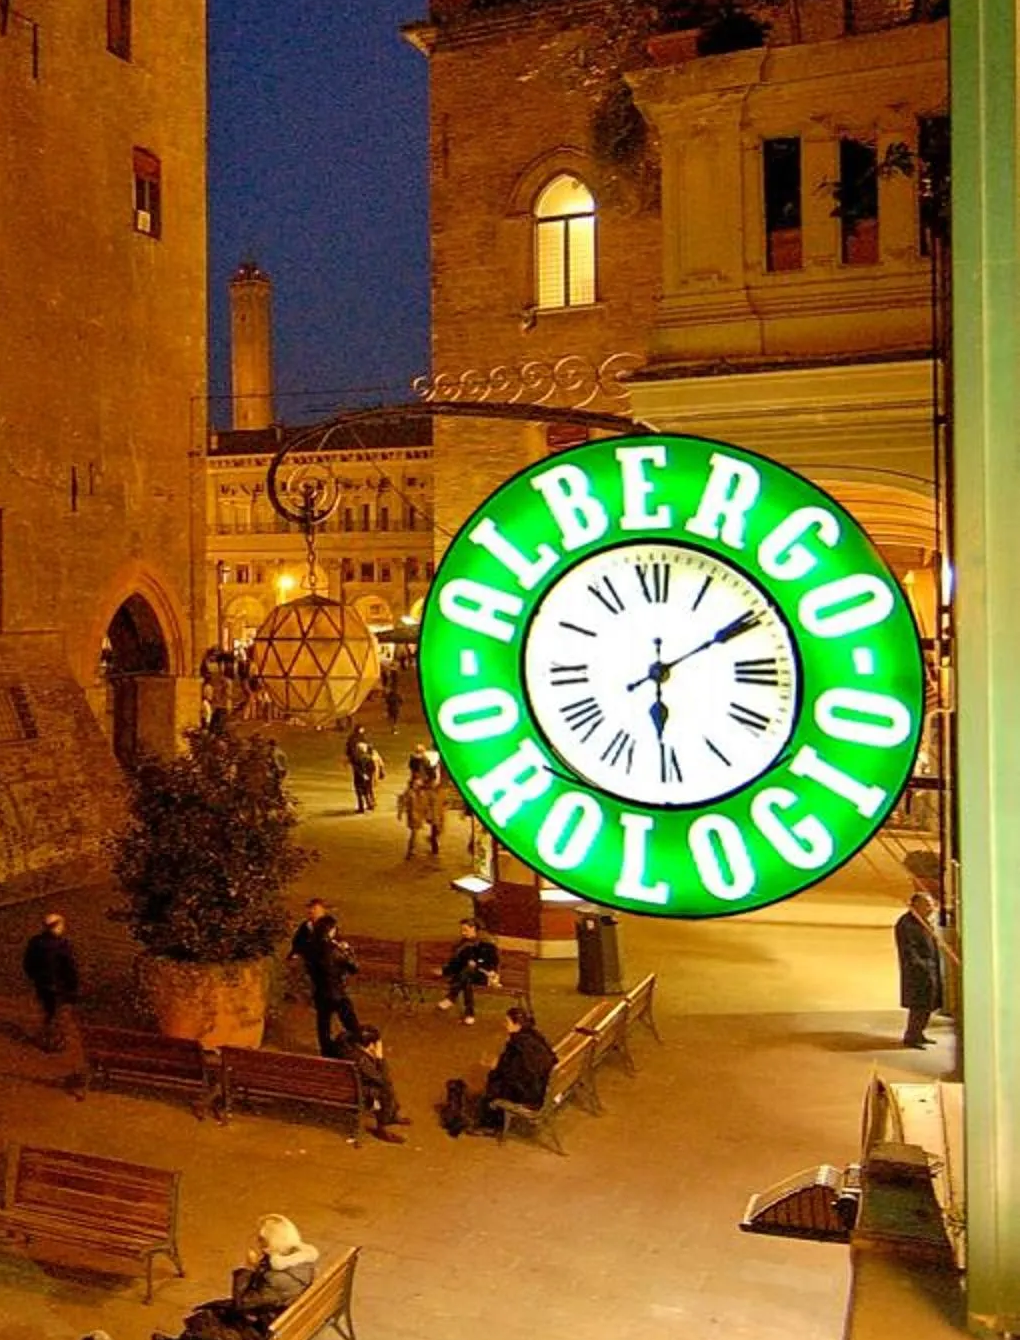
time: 6:10
